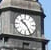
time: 10:24
